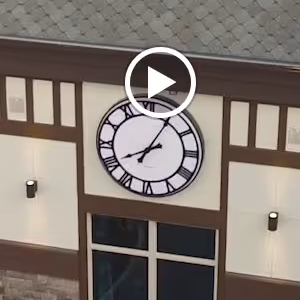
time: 8:04
